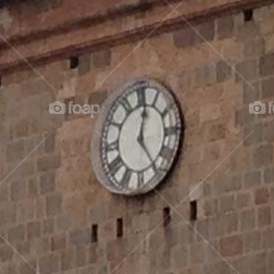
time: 12:23
